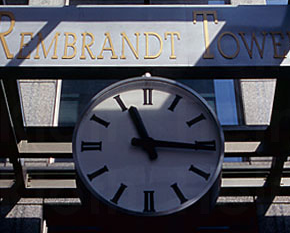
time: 11:15
